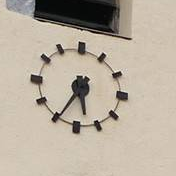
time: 5:34
